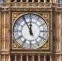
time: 11:55
